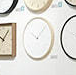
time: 10:07
